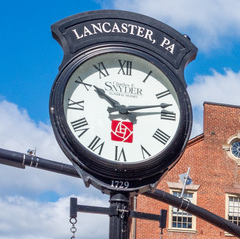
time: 10:13
